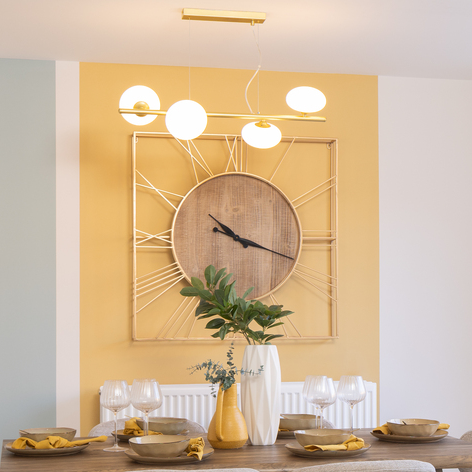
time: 10:18
